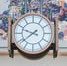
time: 9:38
